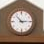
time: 10:14
